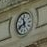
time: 11:41
